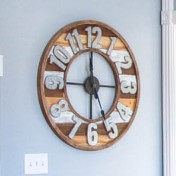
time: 5:59
